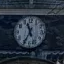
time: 11:34
